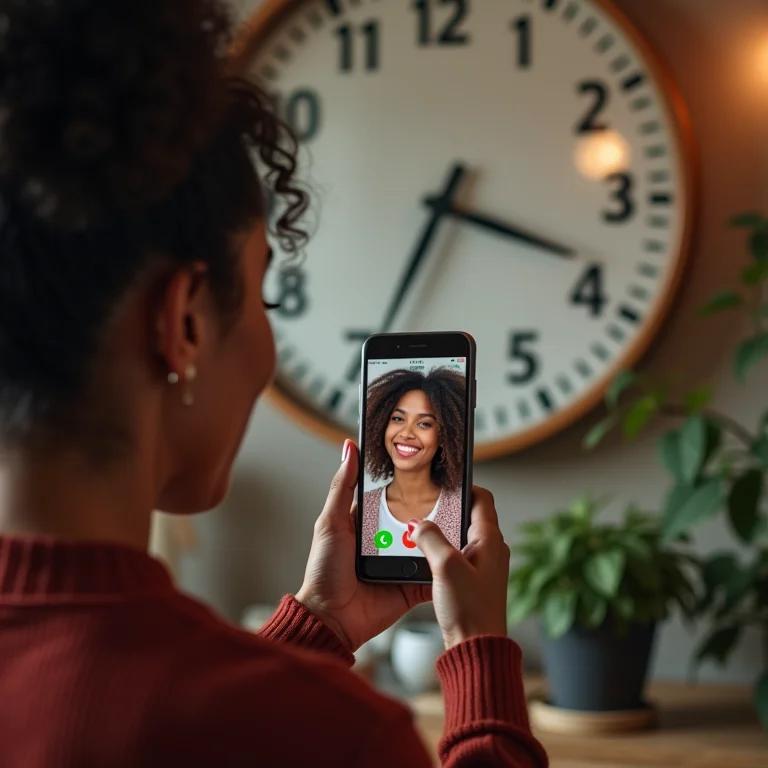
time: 3:34
